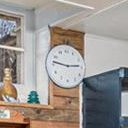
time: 2:46
